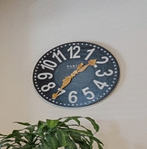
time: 1:35
